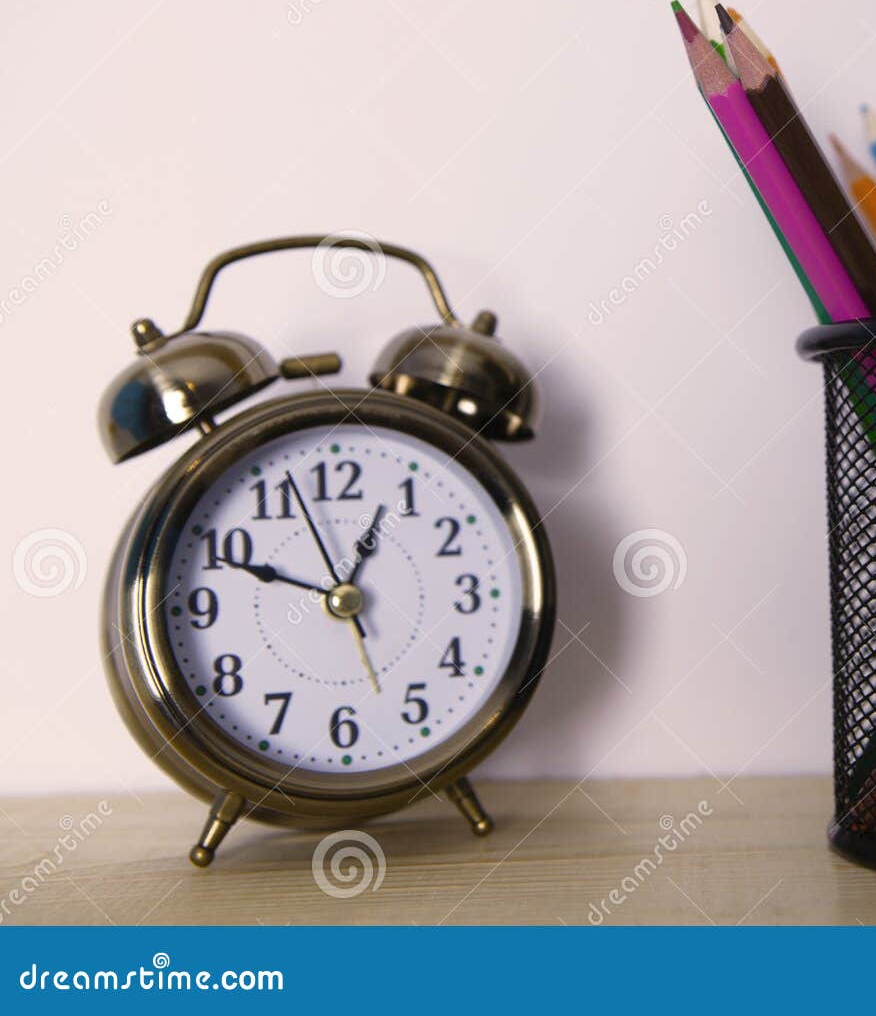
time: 12:49
